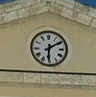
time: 6:09
